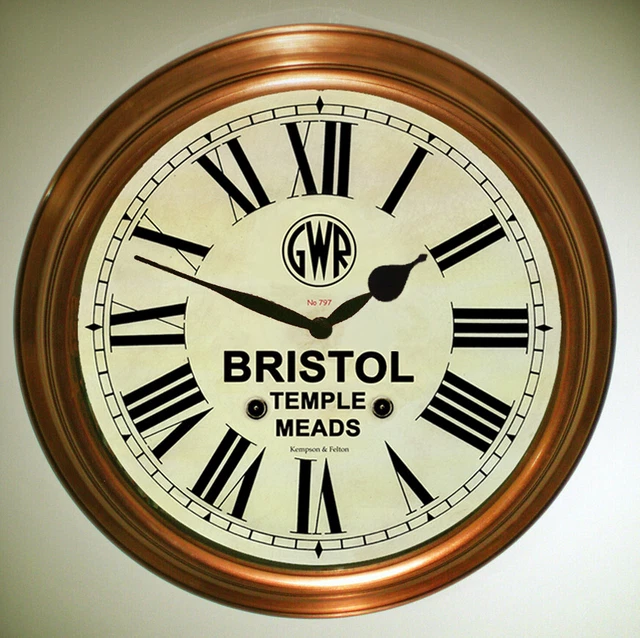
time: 1:48
